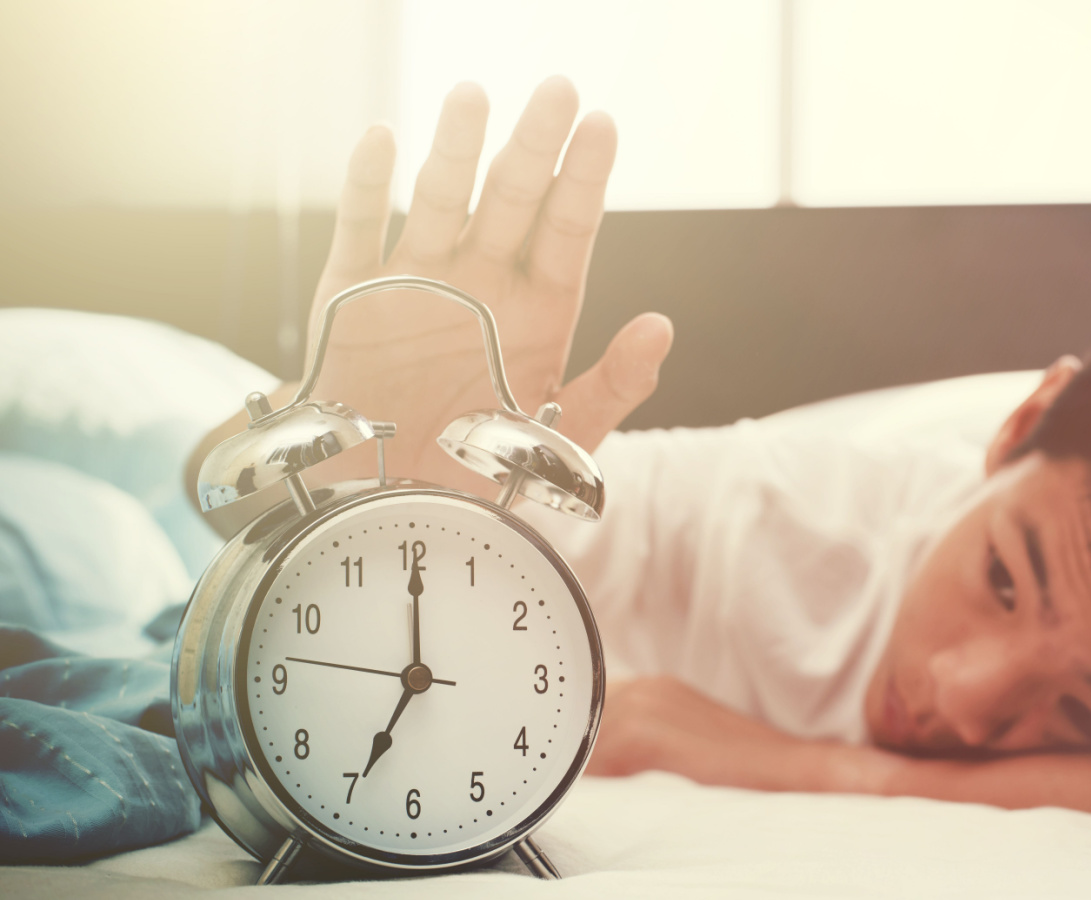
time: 7:00
